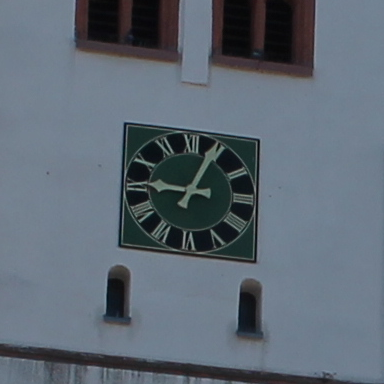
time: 9:04
